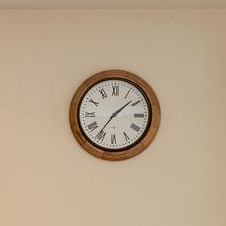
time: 1:36
